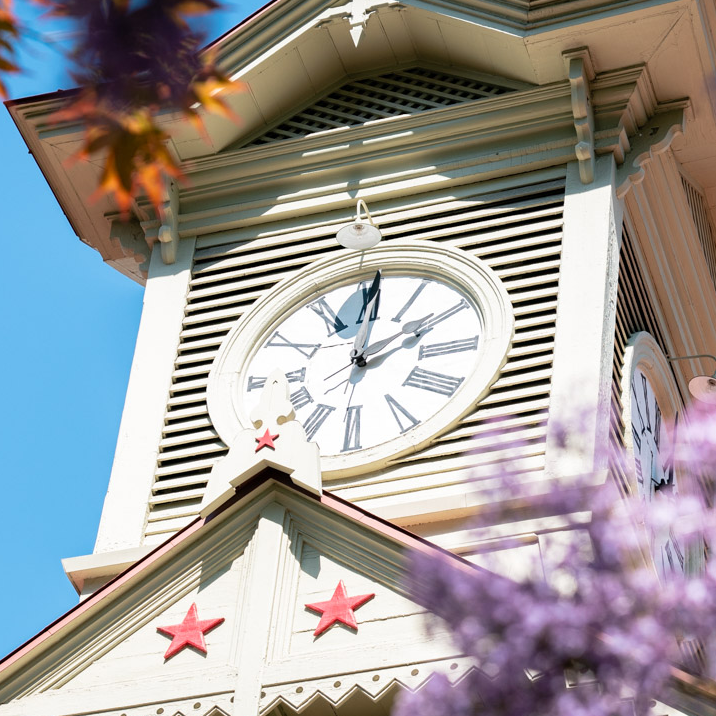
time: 2:00
